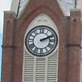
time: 2:11
